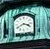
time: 3:40
